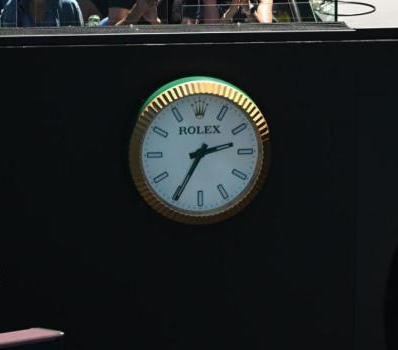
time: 2:34
